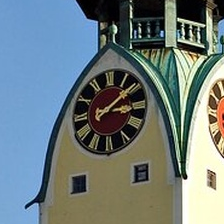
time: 3:09
